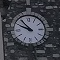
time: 9:53
